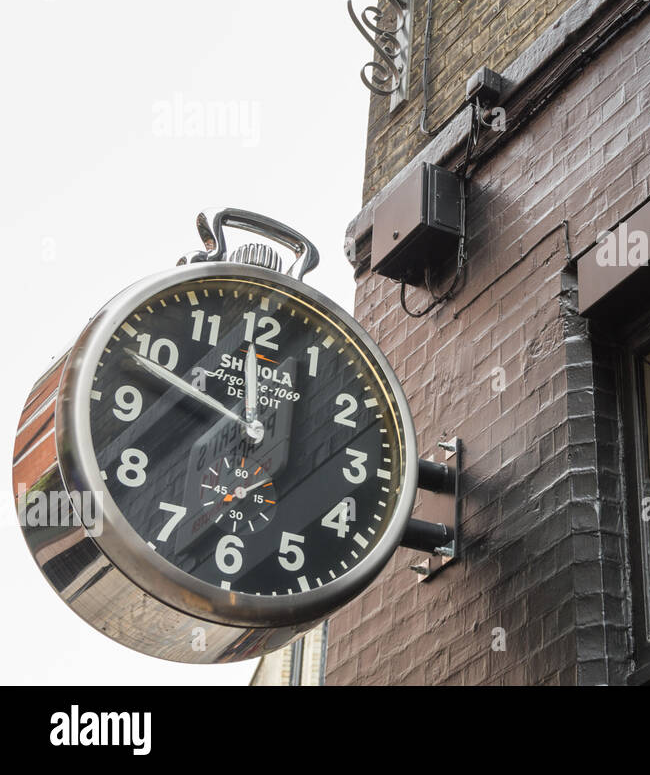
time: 11:48
